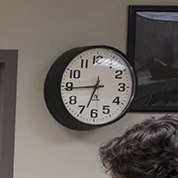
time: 6:44
